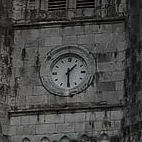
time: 1:30
